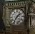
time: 1:35
